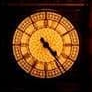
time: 4:23
